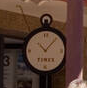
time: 10:07
